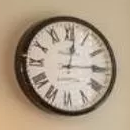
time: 12:14
